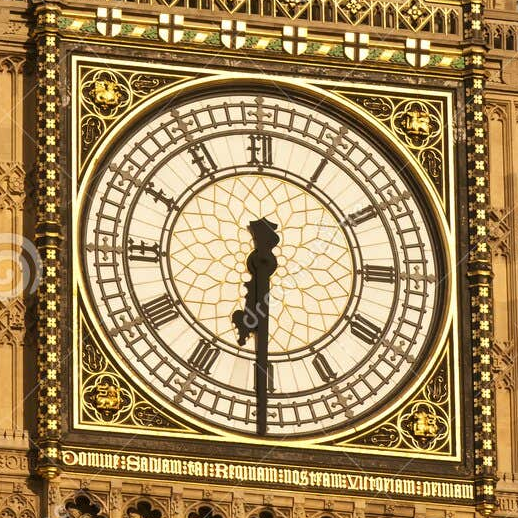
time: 6:30
